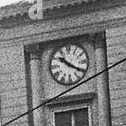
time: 10:20
